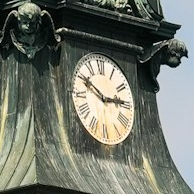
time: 2:50
